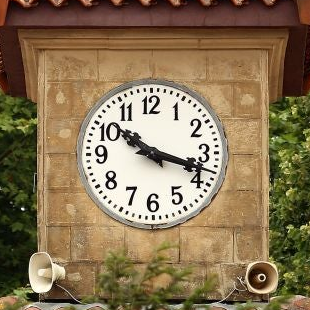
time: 10:17
